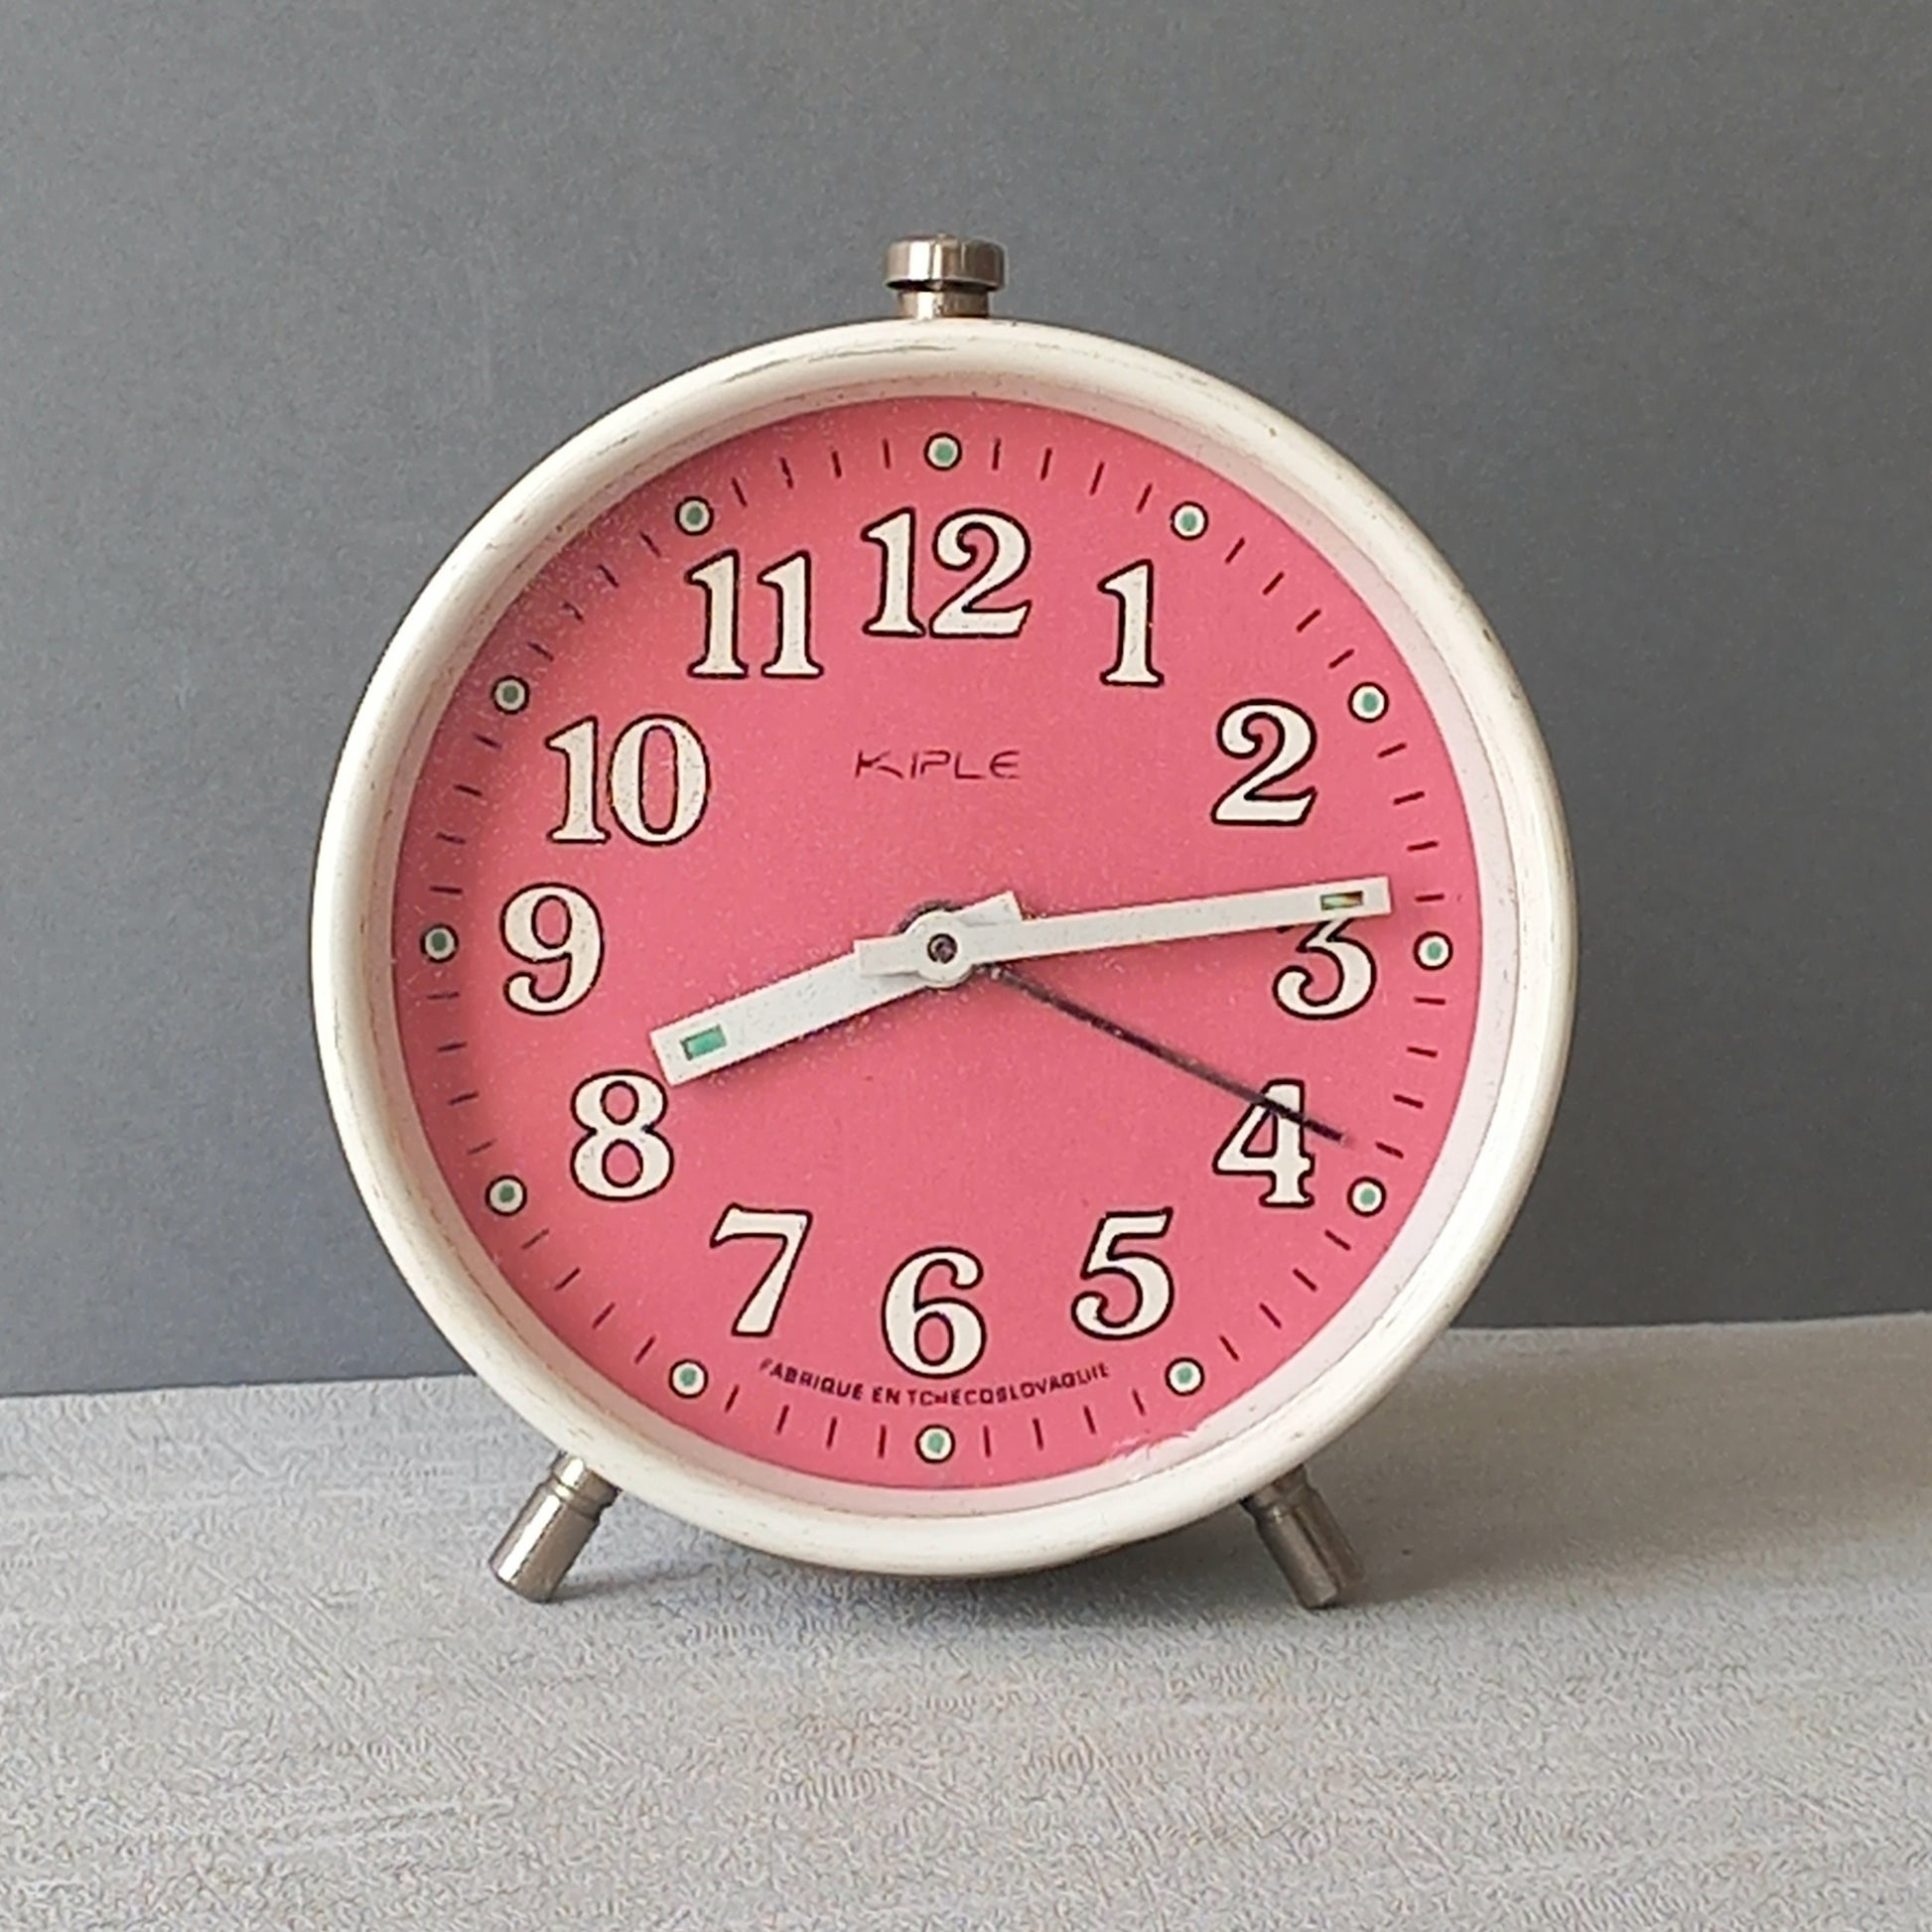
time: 8:14
